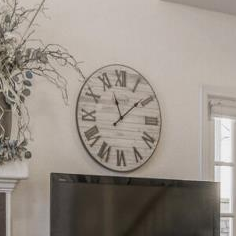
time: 11:08
